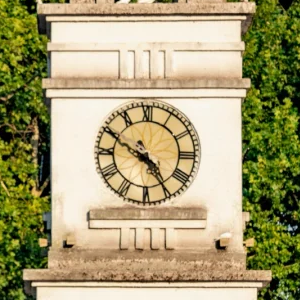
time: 4:49
